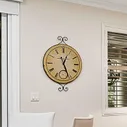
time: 12:26
